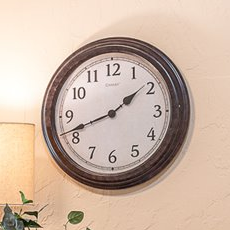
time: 1:41
